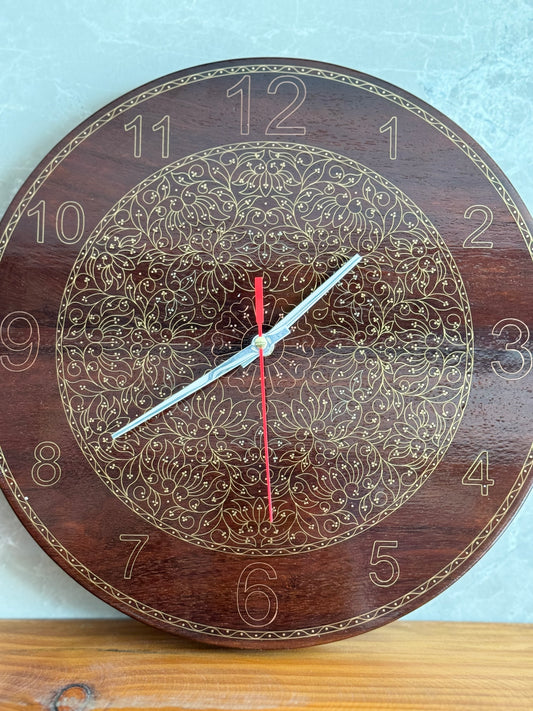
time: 1:39
